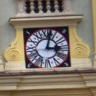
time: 3:02
